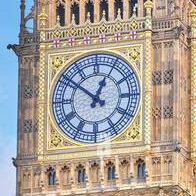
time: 12:51
